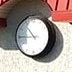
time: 10:45
